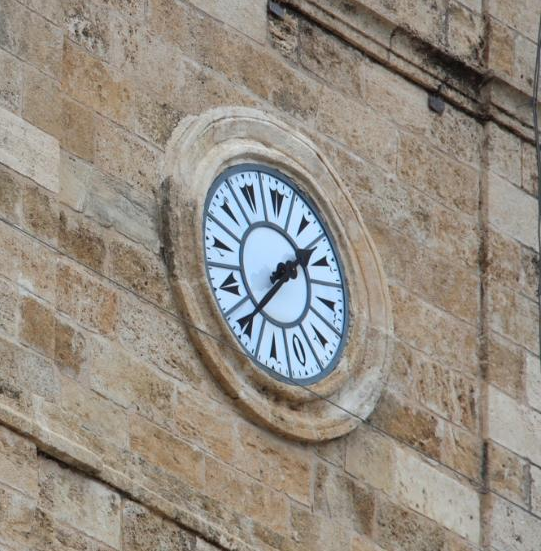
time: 1:36
